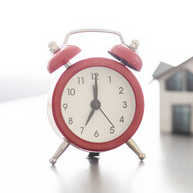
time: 7:00
